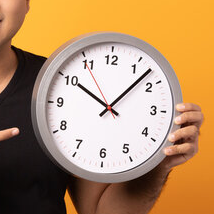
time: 10:07
